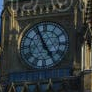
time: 4:55
